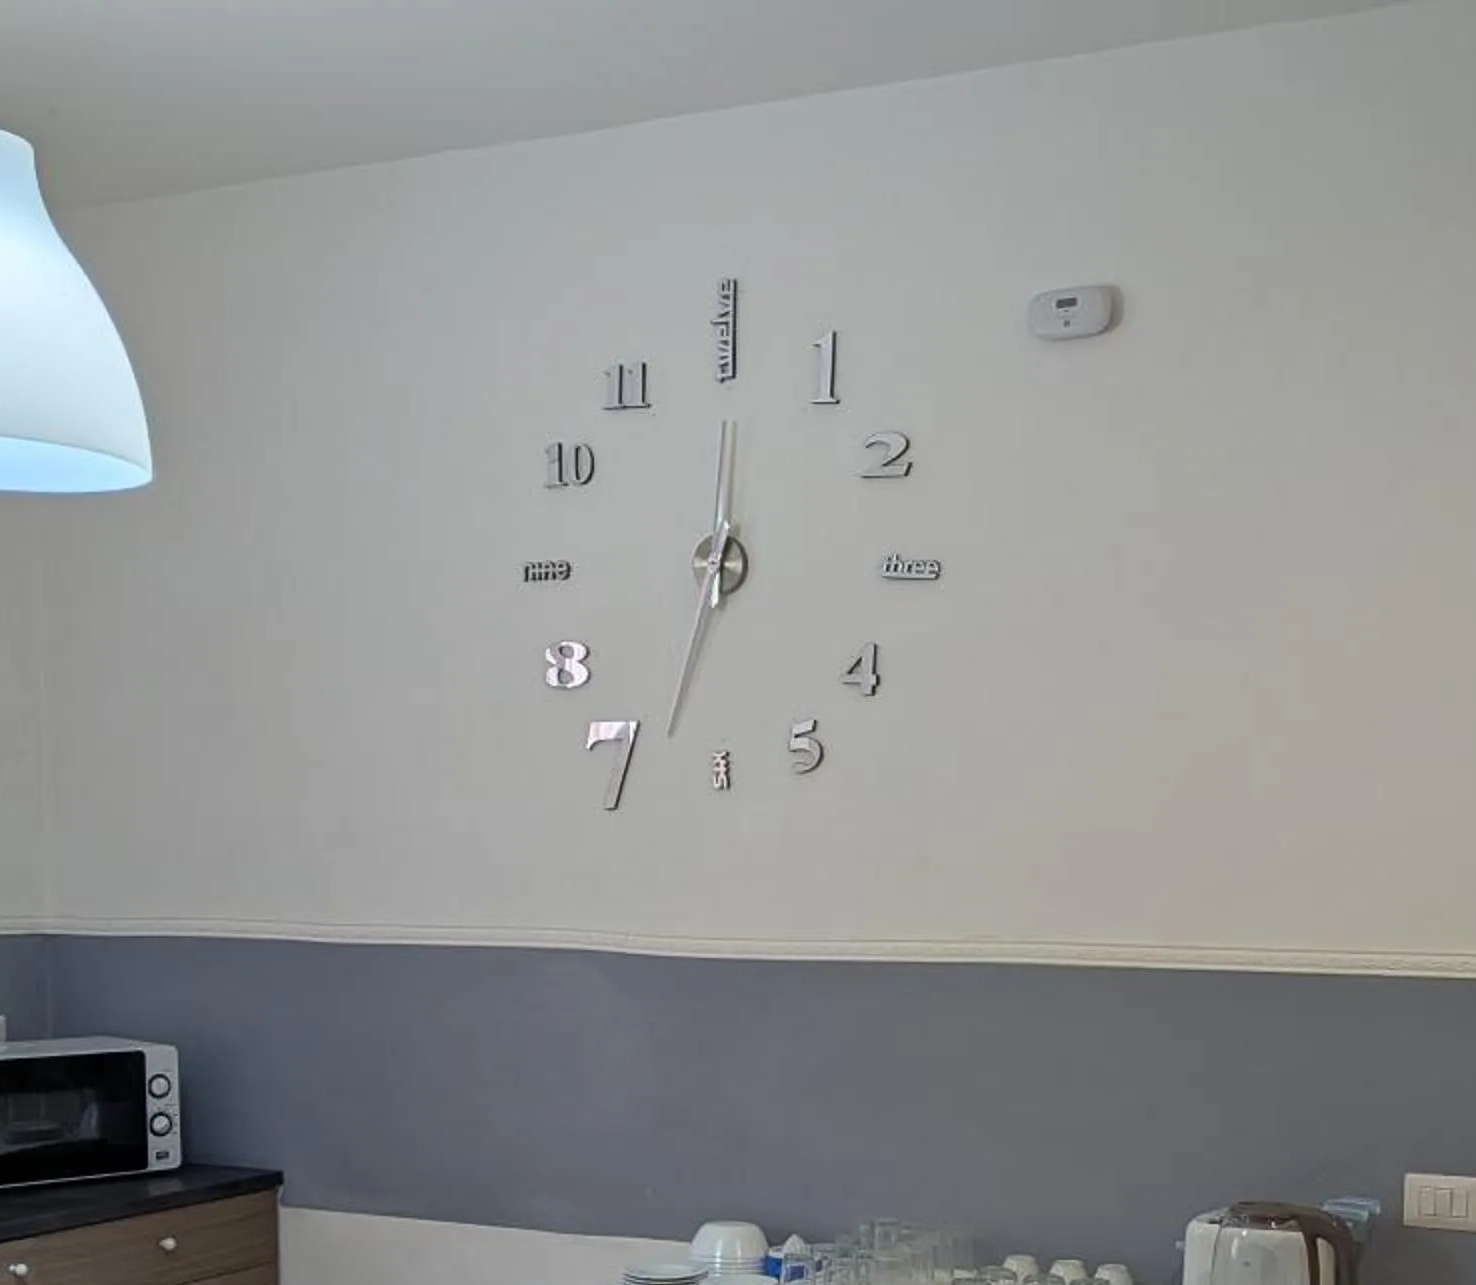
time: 12:33
